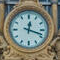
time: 12:18
